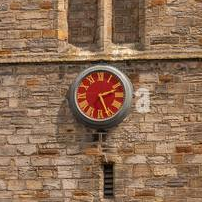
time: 2:26
